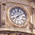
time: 8:09
